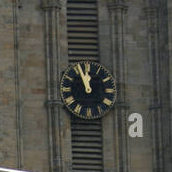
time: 11:56
